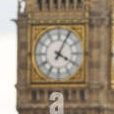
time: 4:04
